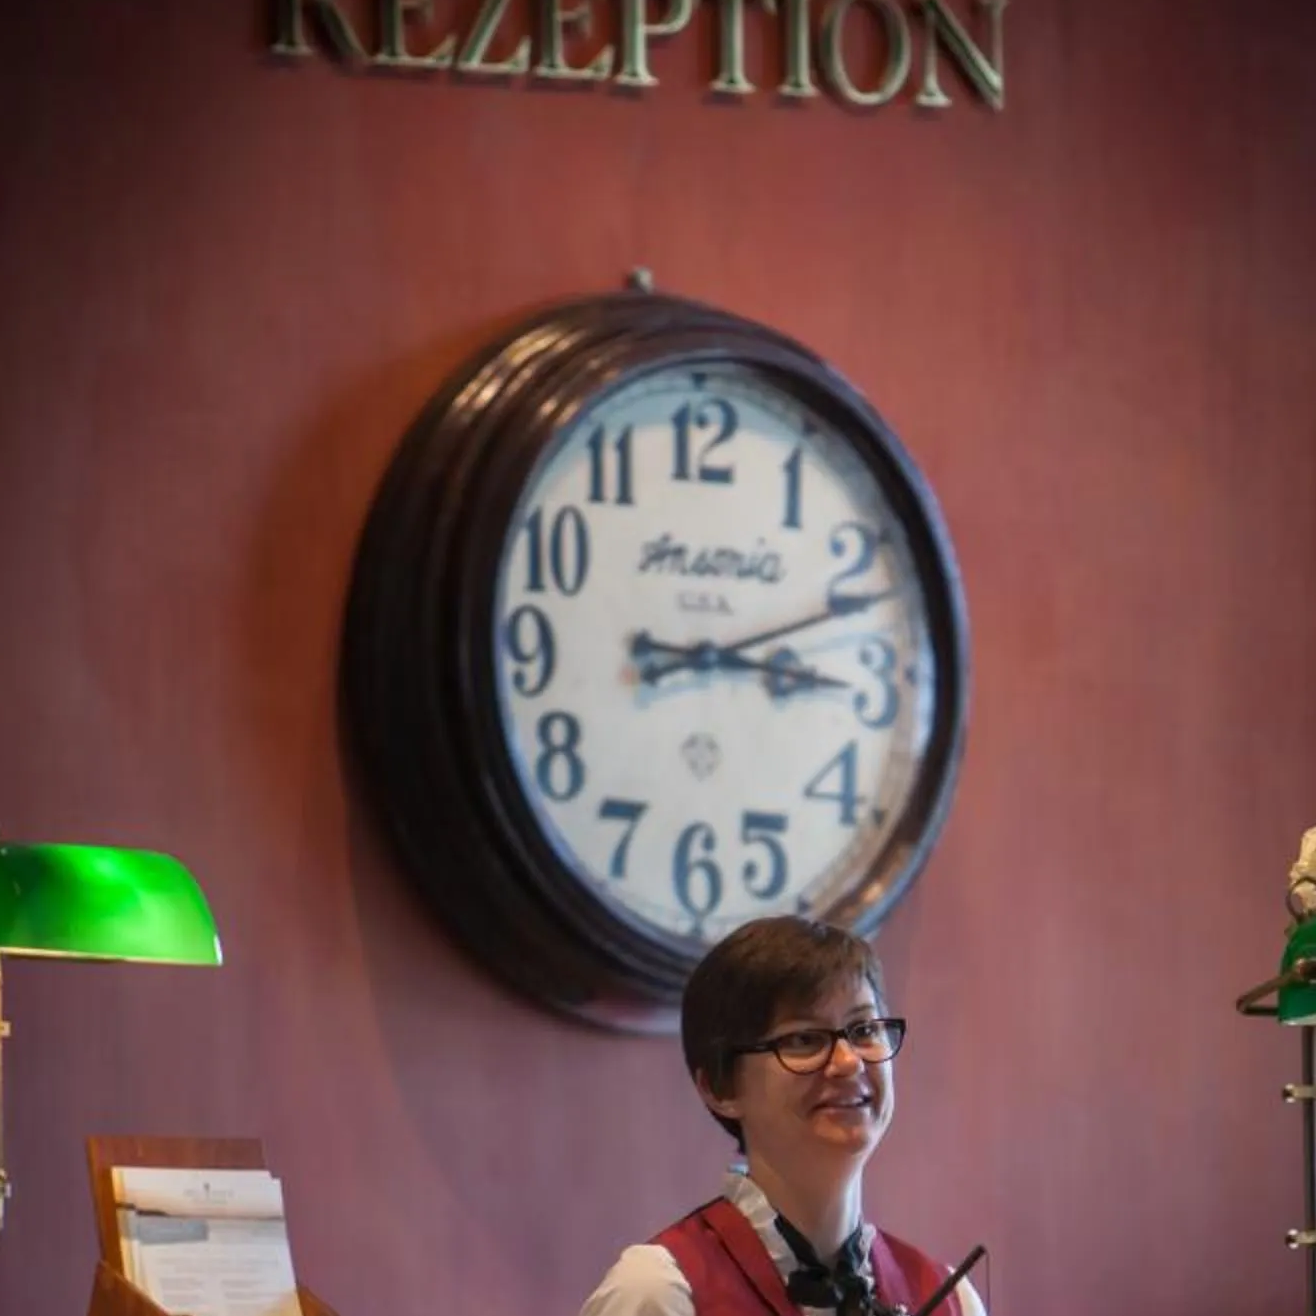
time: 3:11
